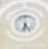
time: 6:23
